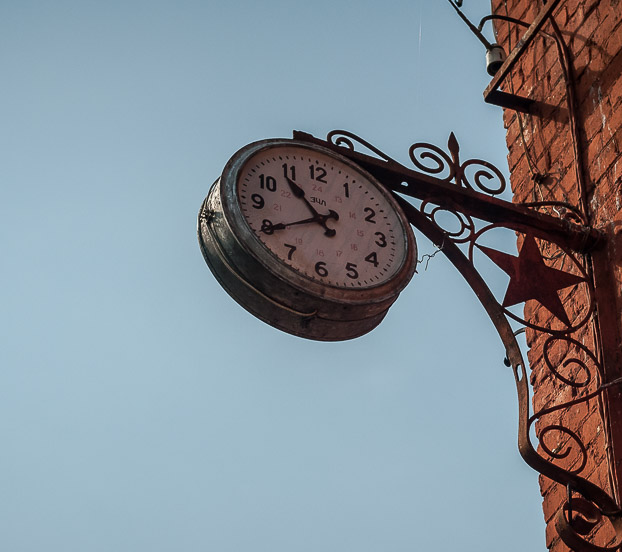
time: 10:39
